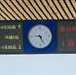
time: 9:26
